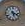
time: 5:18
